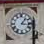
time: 1:16
